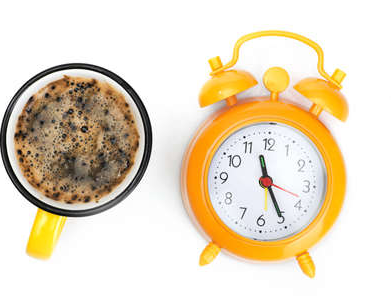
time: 11:25
